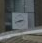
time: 2:42
